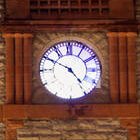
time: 4:50
